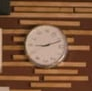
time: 9:11
